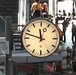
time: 11:47
